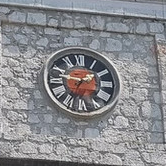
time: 1:47
